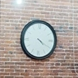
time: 4:20
